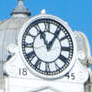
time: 11:06
